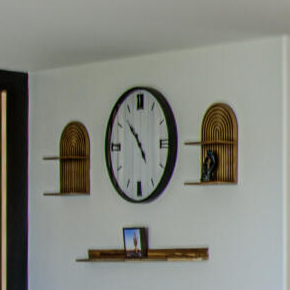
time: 4:52
